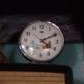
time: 4:10
